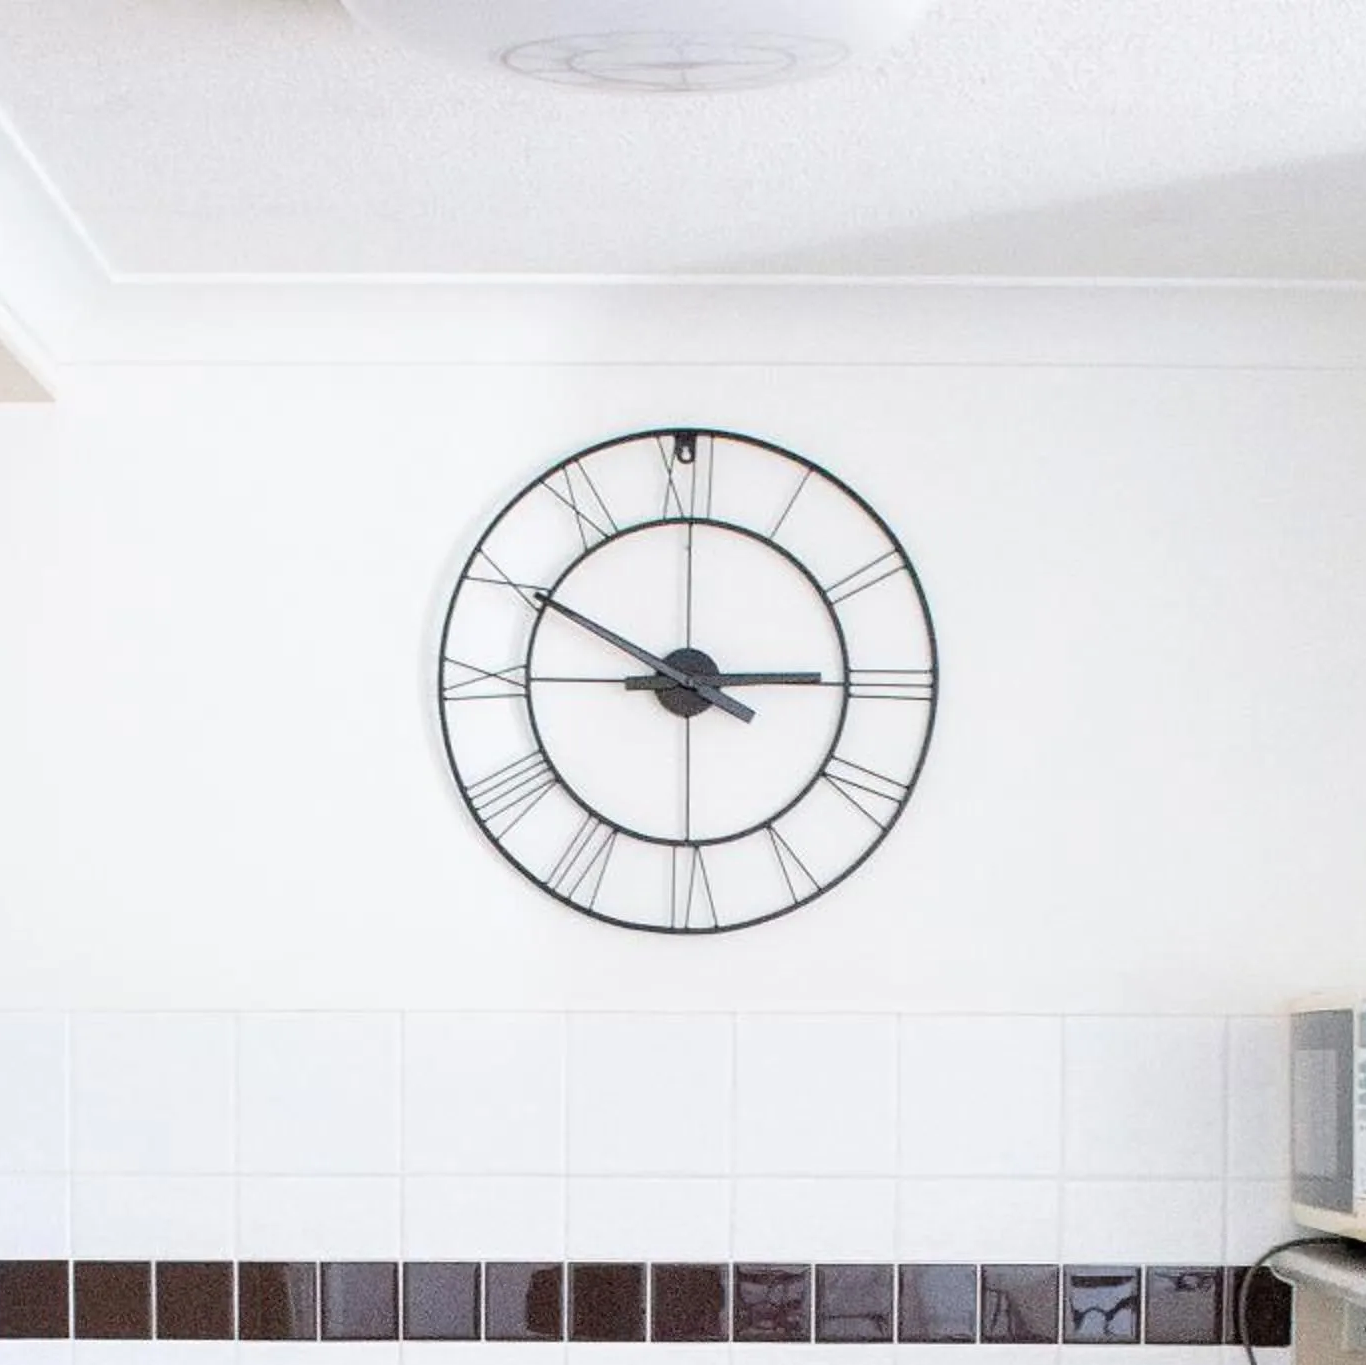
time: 2:50
